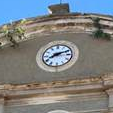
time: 8:11
